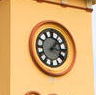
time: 1:16
